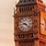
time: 9:22
